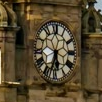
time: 5:33
